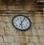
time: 6:06
